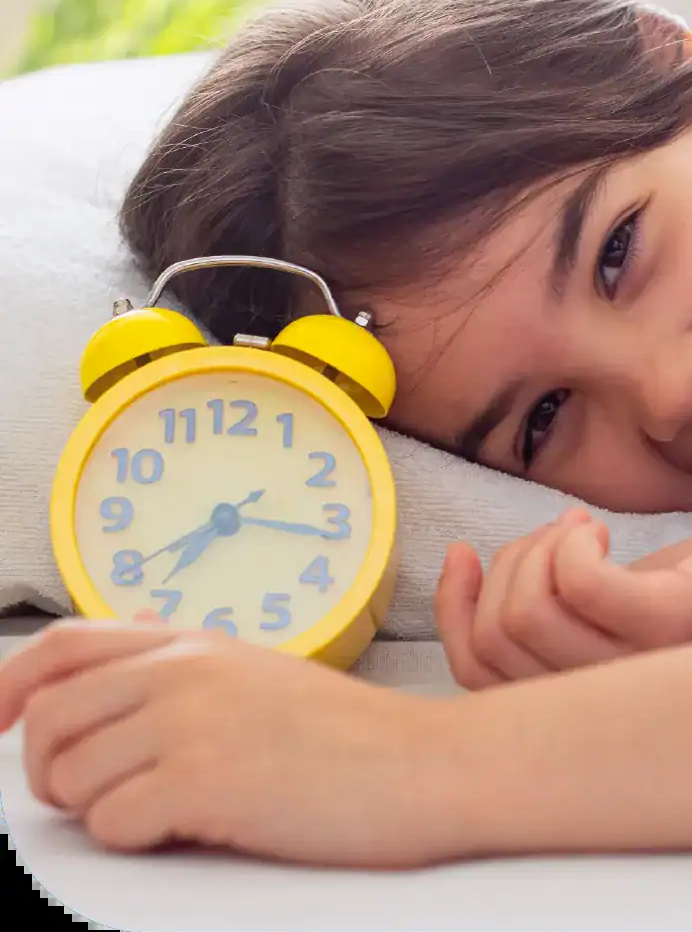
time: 7:16
